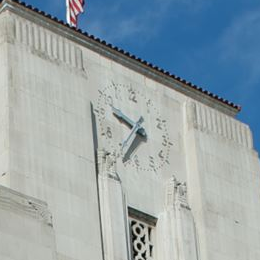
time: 9:36
